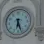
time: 6:26
